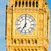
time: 7:00
